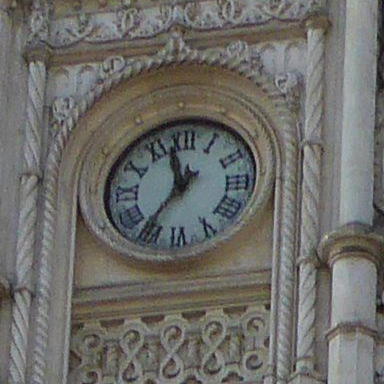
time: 11:35
